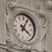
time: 4:04
